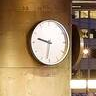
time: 9:31
